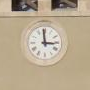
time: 2:59
